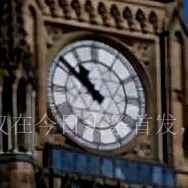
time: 10:51
